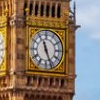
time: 11:26
